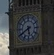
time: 5:40
